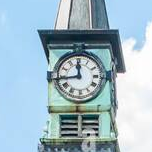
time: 11:44
